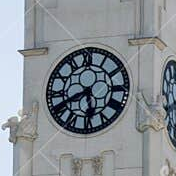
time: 5:40
